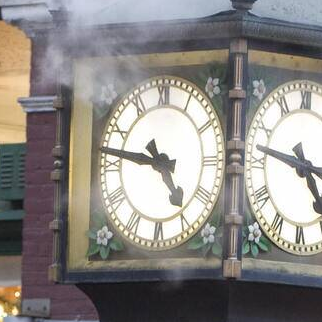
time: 4:46
